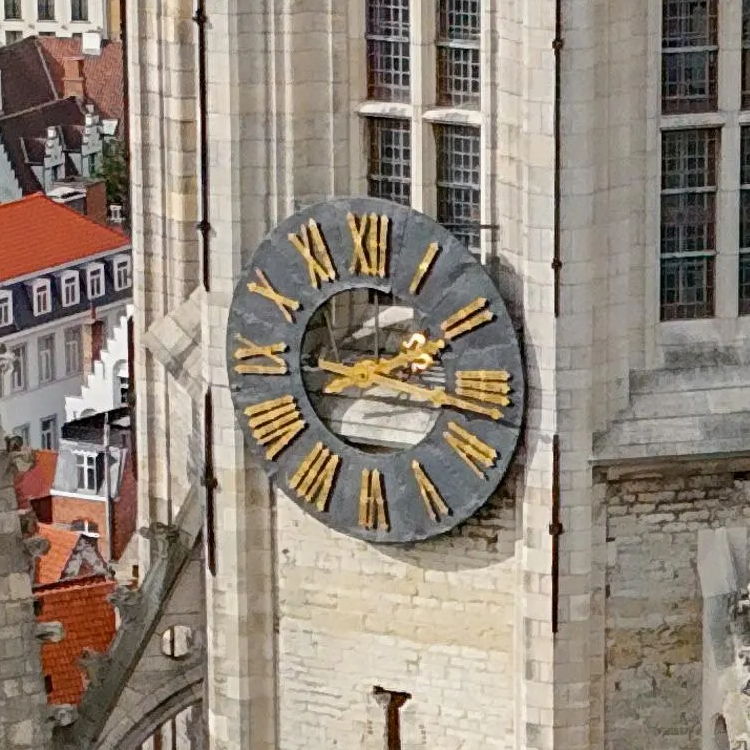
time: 2:16
